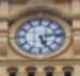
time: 5:13
